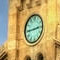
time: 2:44
